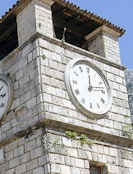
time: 12:12
